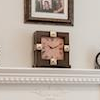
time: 10:11
